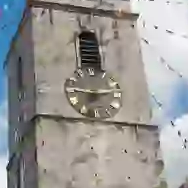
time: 2:46
